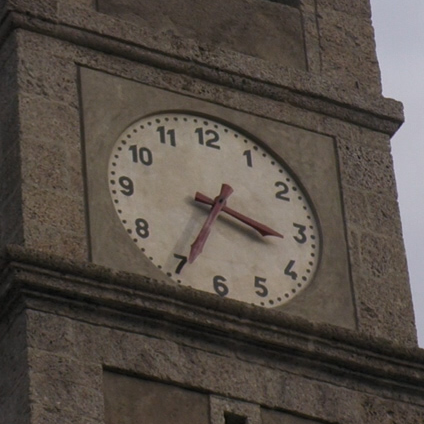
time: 3:34
